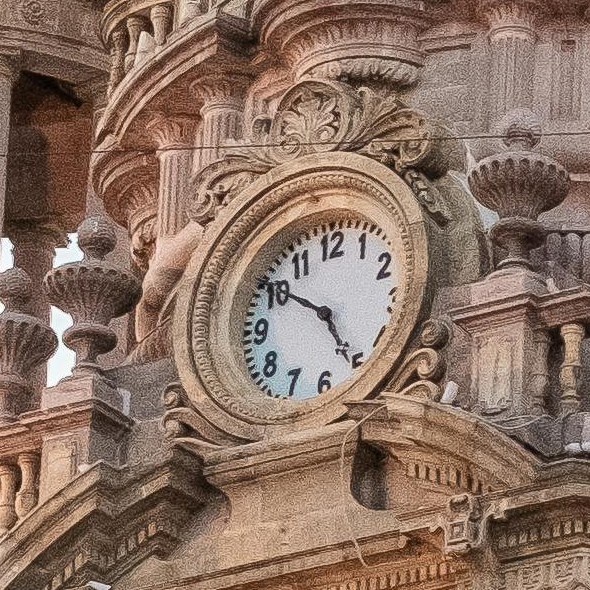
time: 4:50
